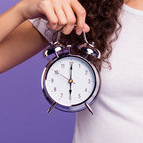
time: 6:00
